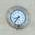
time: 8:36
